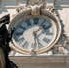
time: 1:28
